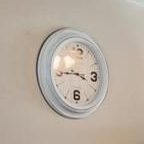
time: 3:44
